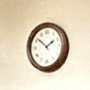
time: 1:51
